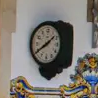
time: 1:39
